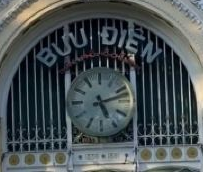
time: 5:12
